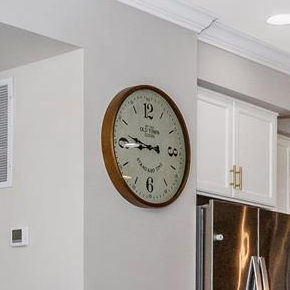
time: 8:46
